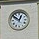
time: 12:51
